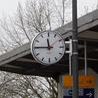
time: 11:45
